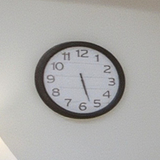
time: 5:26
